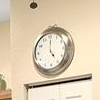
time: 5:00
